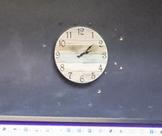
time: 2:08
